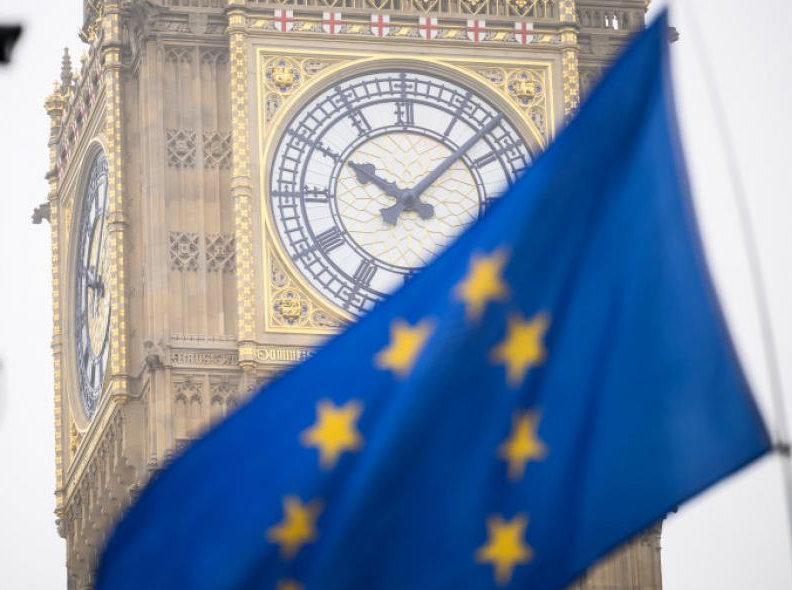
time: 10:07
